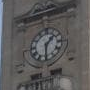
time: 1:30
